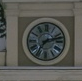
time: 7:12
